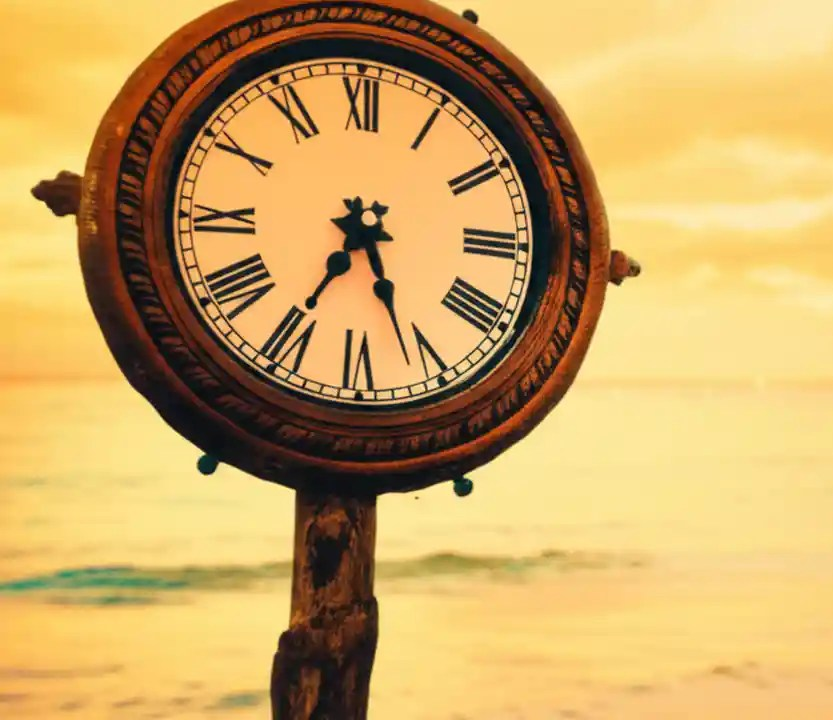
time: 5:35
